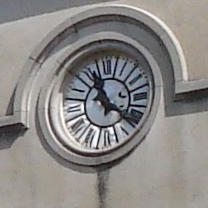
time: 11:21
